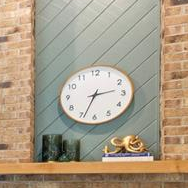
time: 2:33
